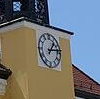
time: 1:13
